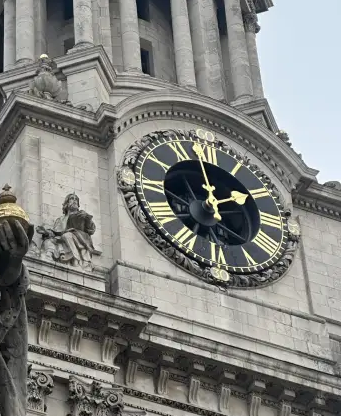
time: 1:58
